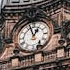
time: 12:57
